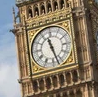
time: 11:27
